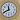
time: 11:40
